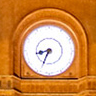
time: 8:34
